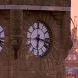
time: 6:17
